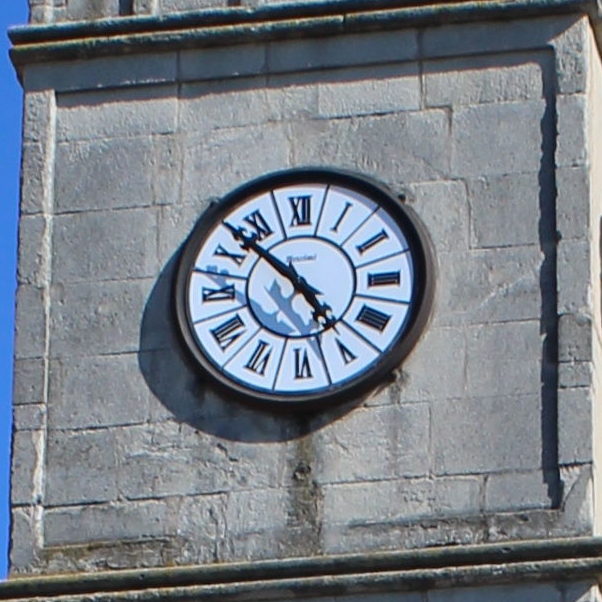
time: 4:52
